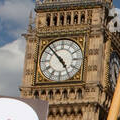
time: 4:52
